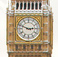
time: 2:48
